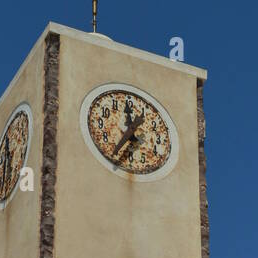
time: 11:35
